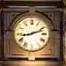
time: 8:11
